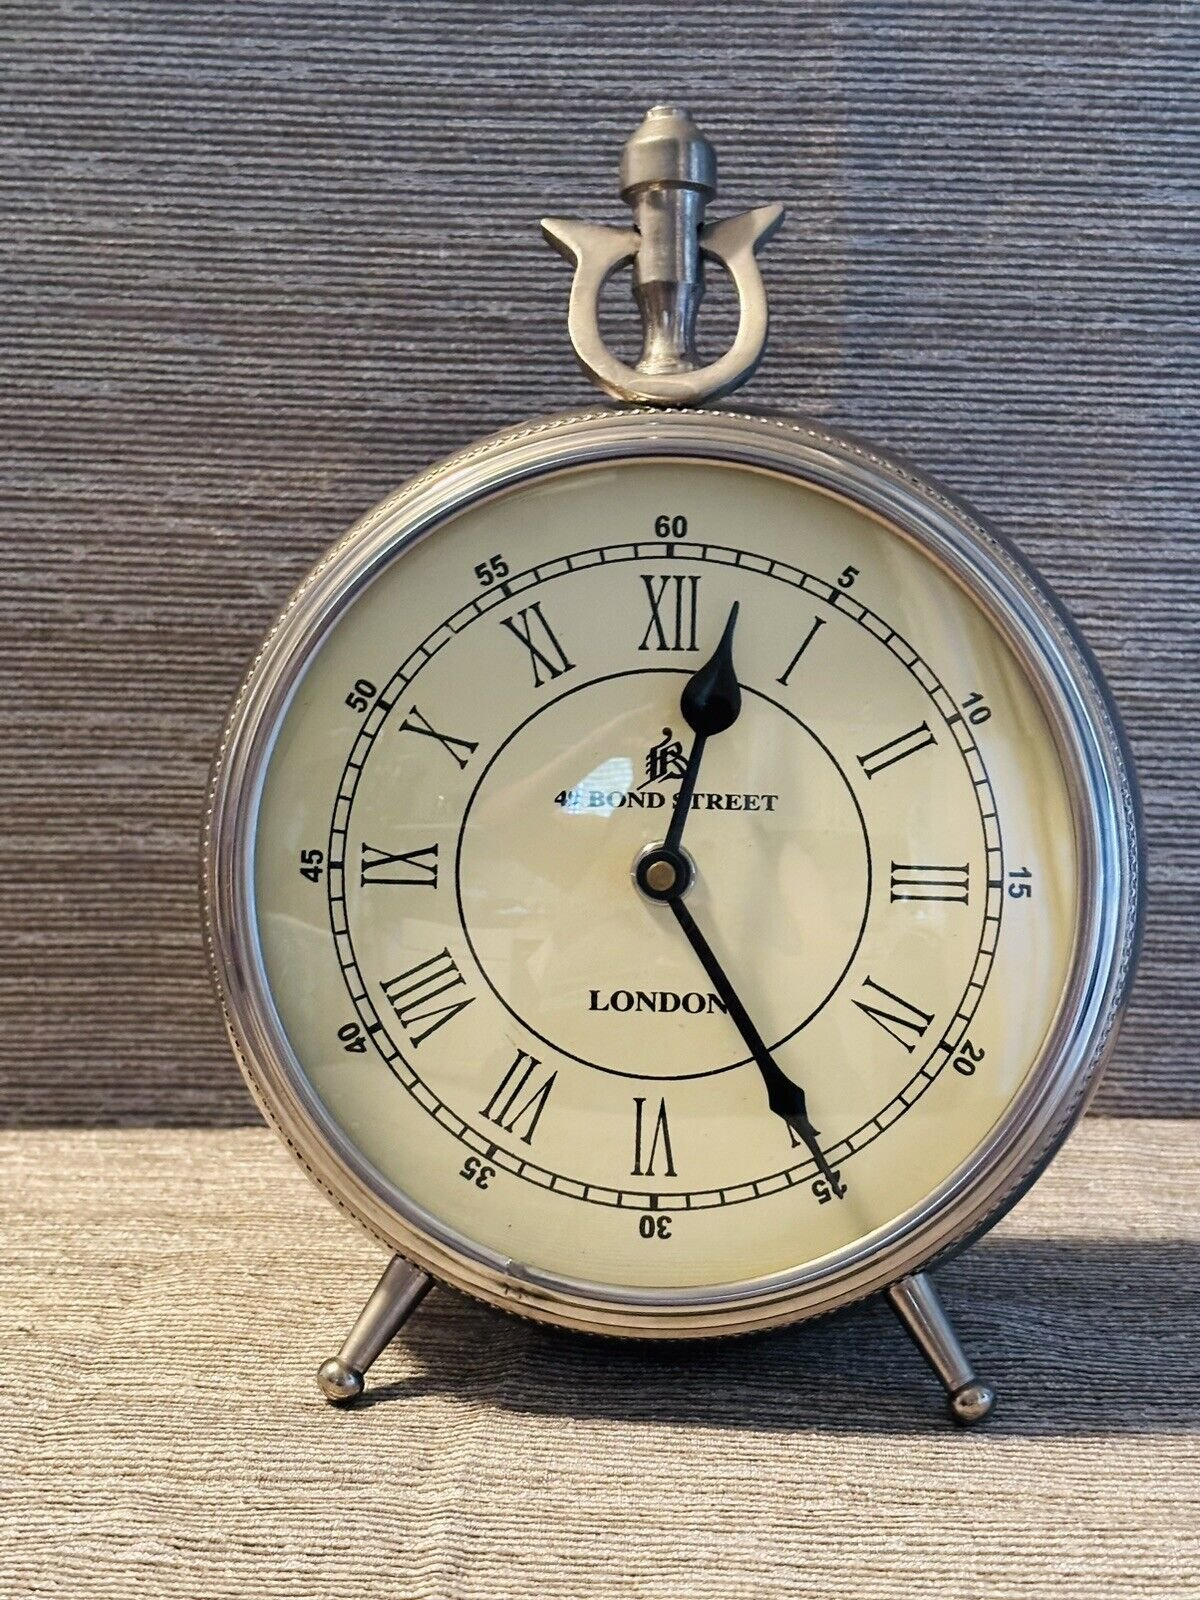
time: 12:24
